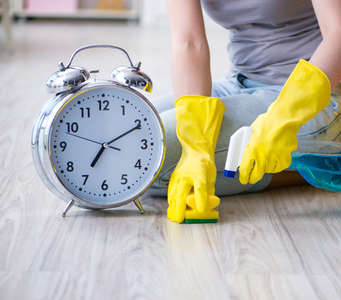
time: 7:10
